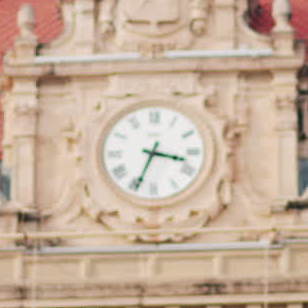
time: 3:33
